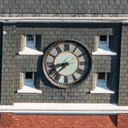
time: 8:37
